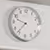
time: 9:36
